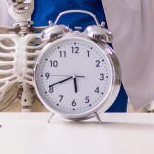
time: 5:41
